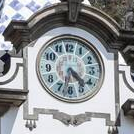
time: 4:32
